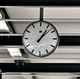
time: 1:07
